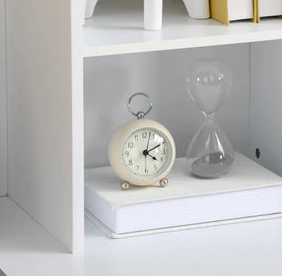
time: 4:10
